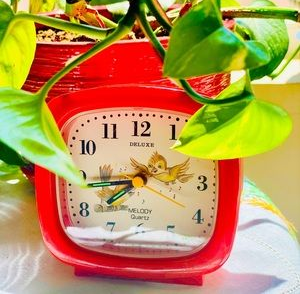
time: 7:43
